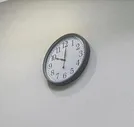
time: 10:00
